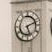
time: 5:11
